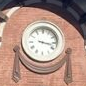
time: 3:17
